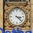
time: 3:22
